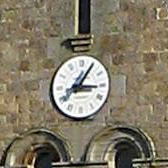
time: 3:05
